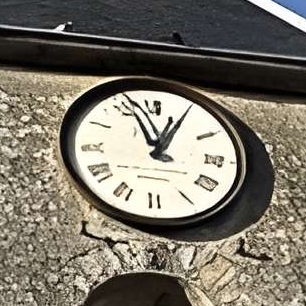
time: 12:56
